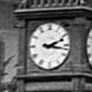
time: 2:16
